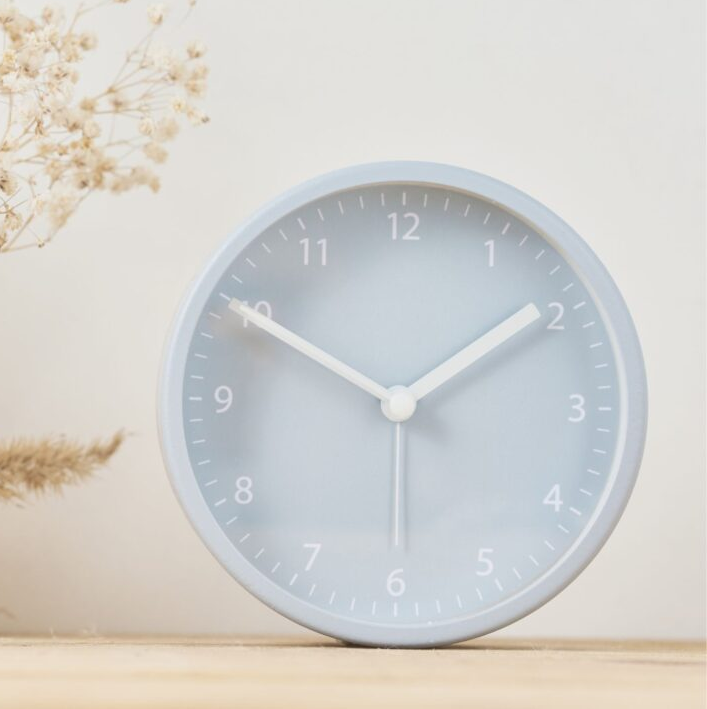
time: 1:50
